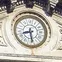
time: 8:28
